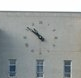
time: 10:51
